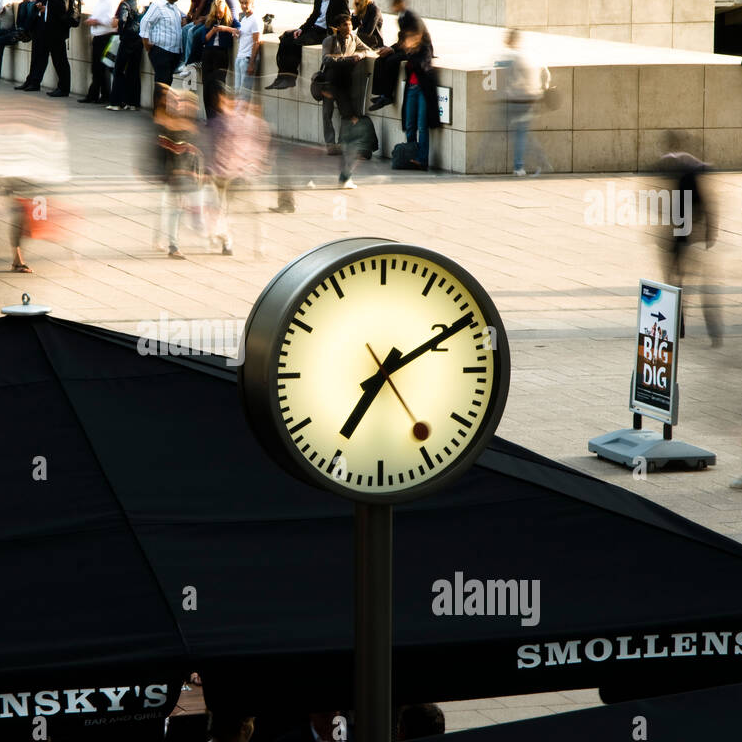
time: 7:10
